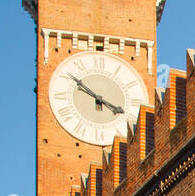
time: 3:51
